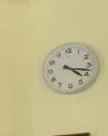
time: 4:17
